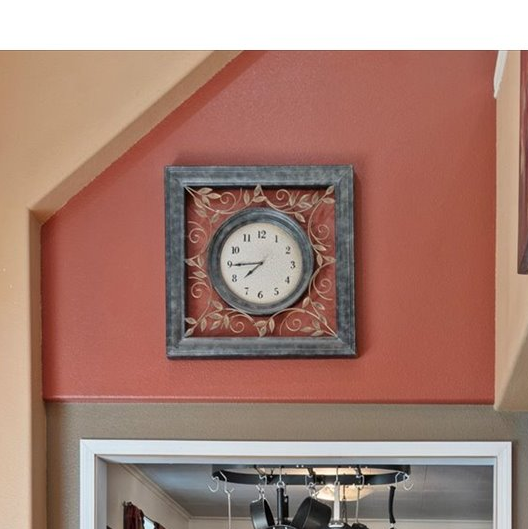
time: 7:44
